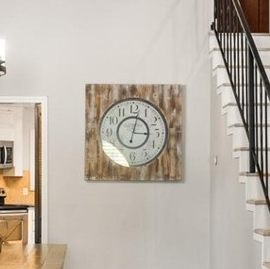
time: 12:33
